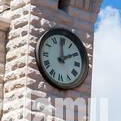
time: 1:59
